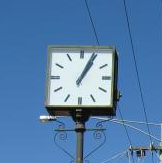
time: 1:04
